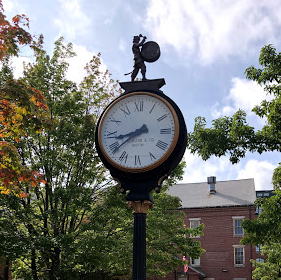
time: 8:38
